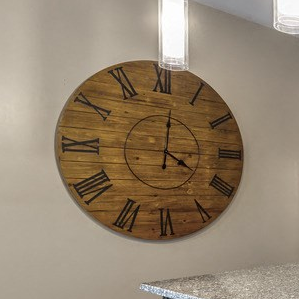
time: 4:01
